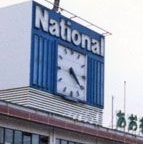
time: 4:21
